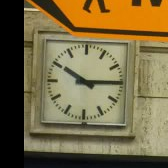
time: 10:14
